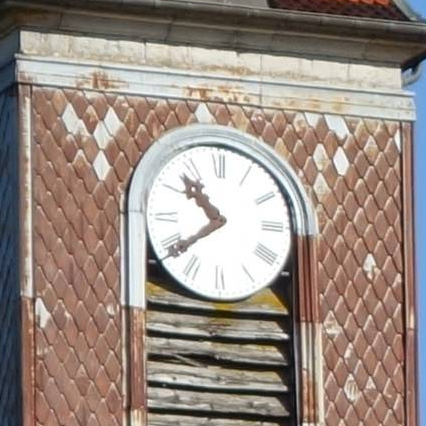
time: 10:38
